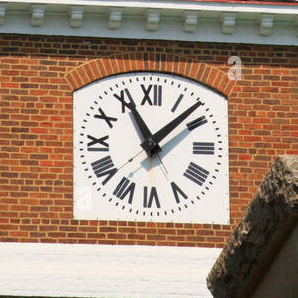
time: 11:07
